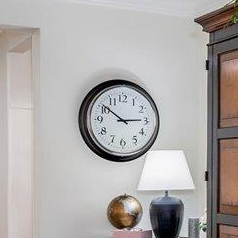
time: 2:51
